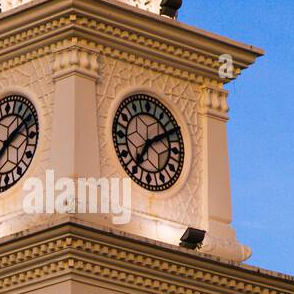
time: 7:10
